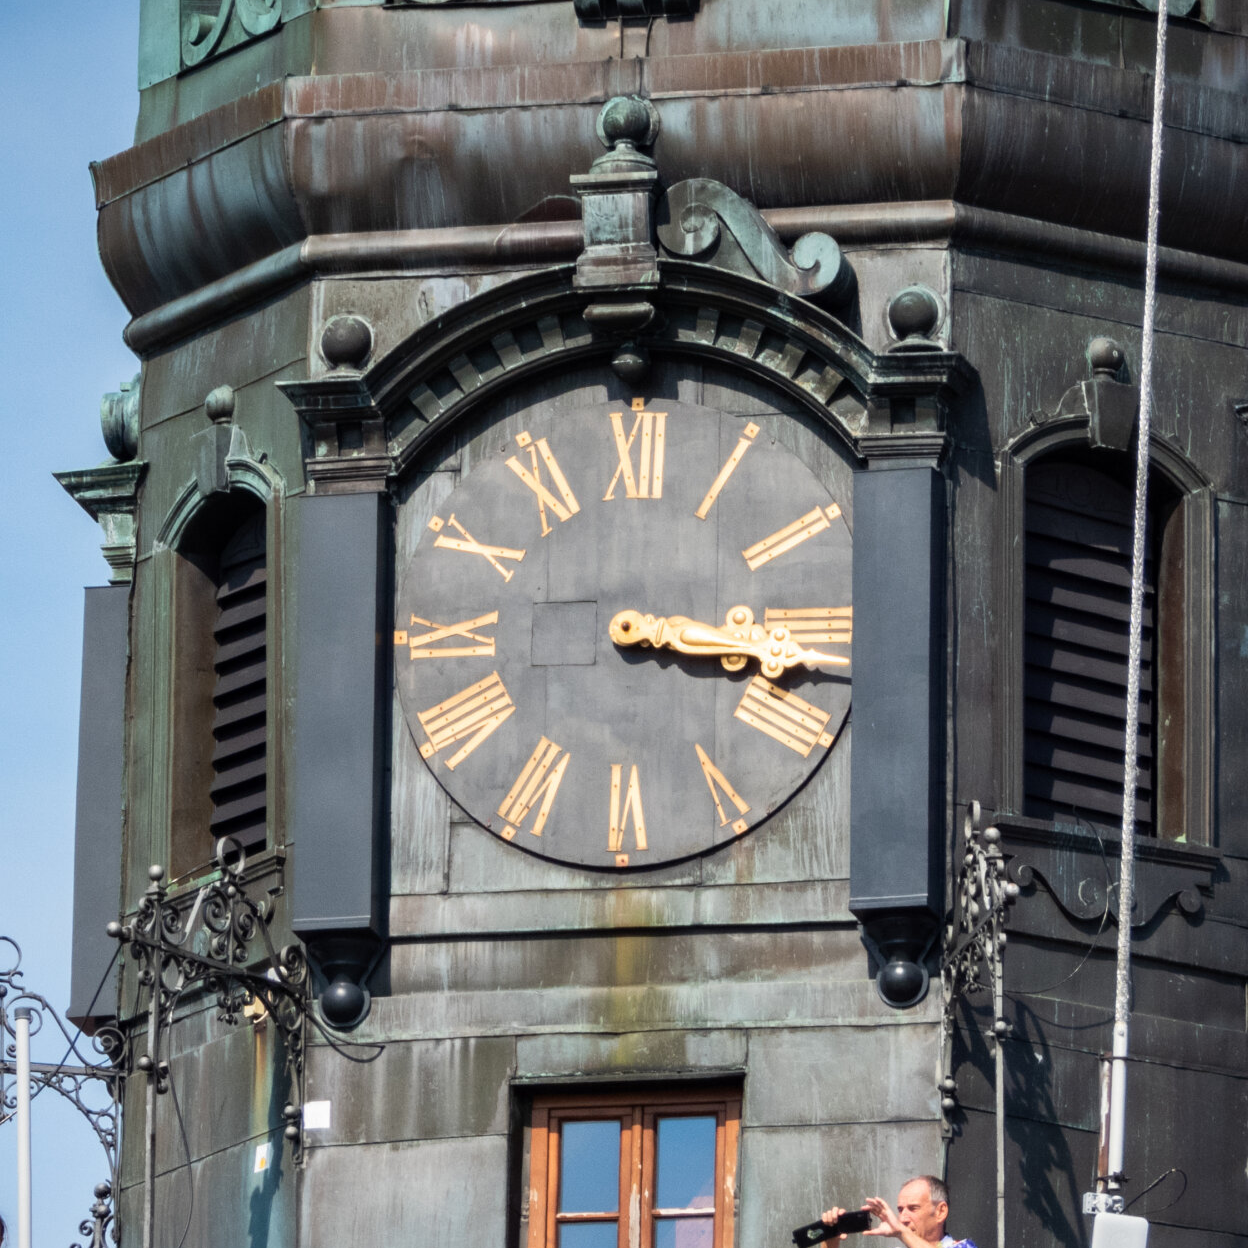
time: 3:17
